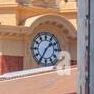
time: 1:35
